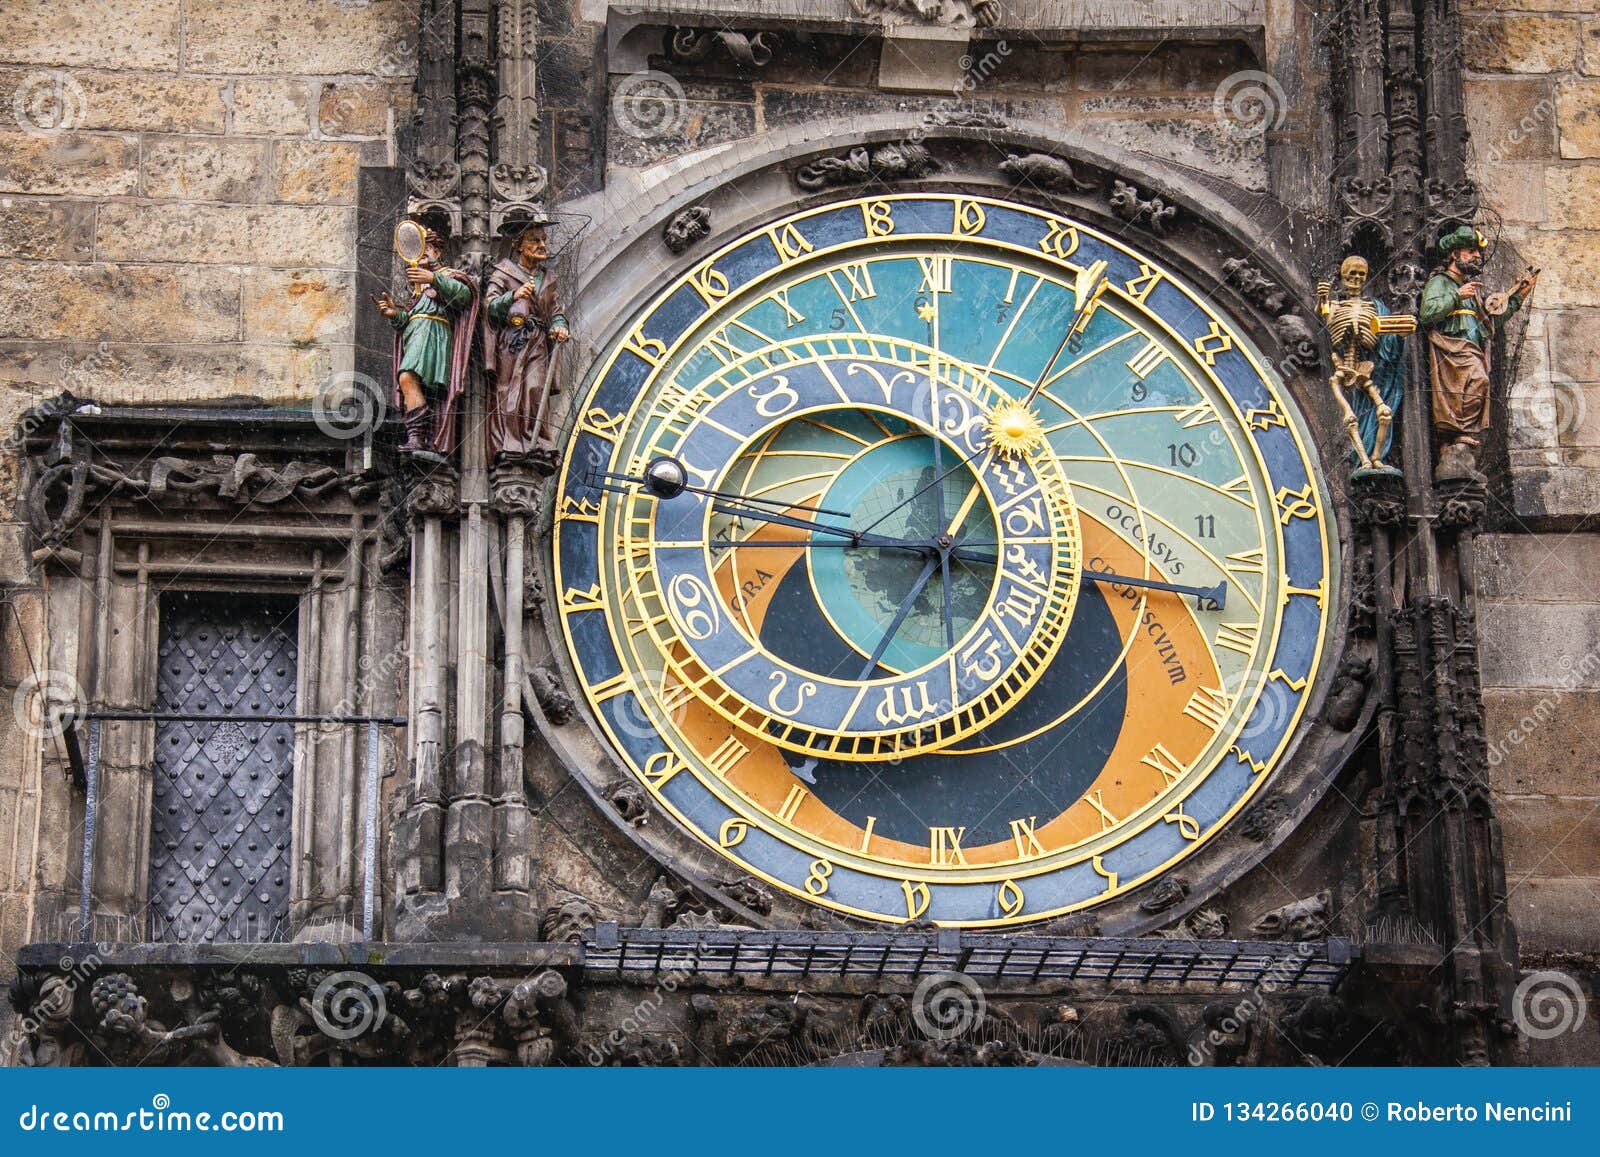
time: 6:45
